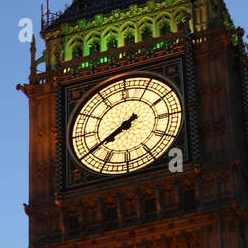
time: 7:39
